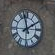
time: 1:57
